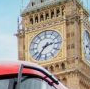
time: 2:36
